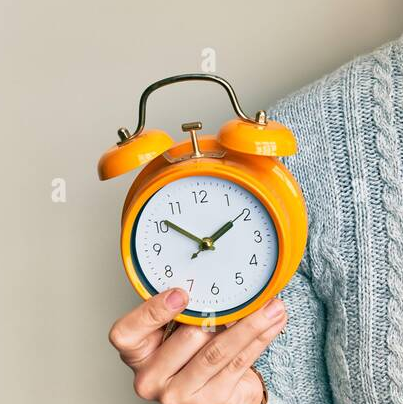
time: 1:51
